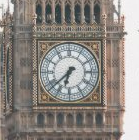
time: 6:38
